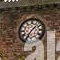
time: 1:35
